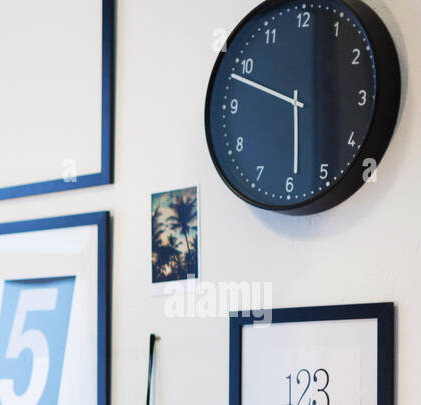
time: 5:48
